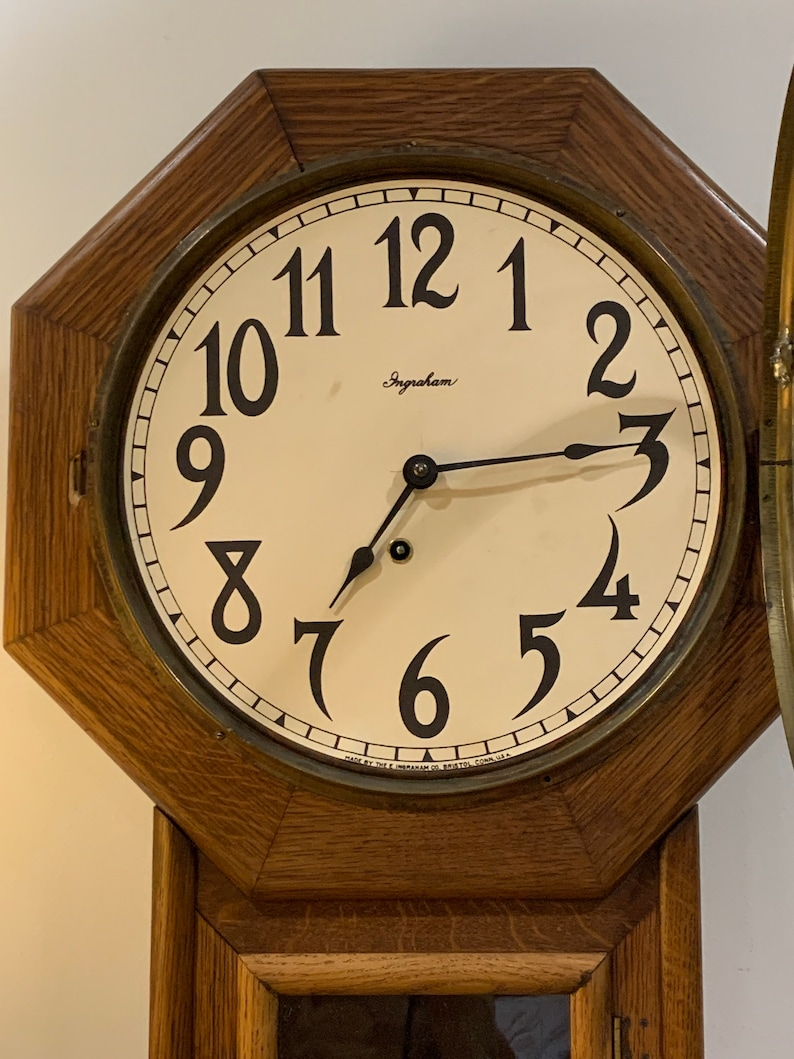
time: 7:13
